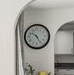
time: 10:25
